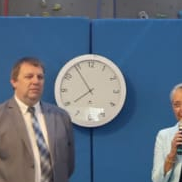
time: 7:54
